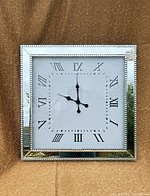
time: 11:48
